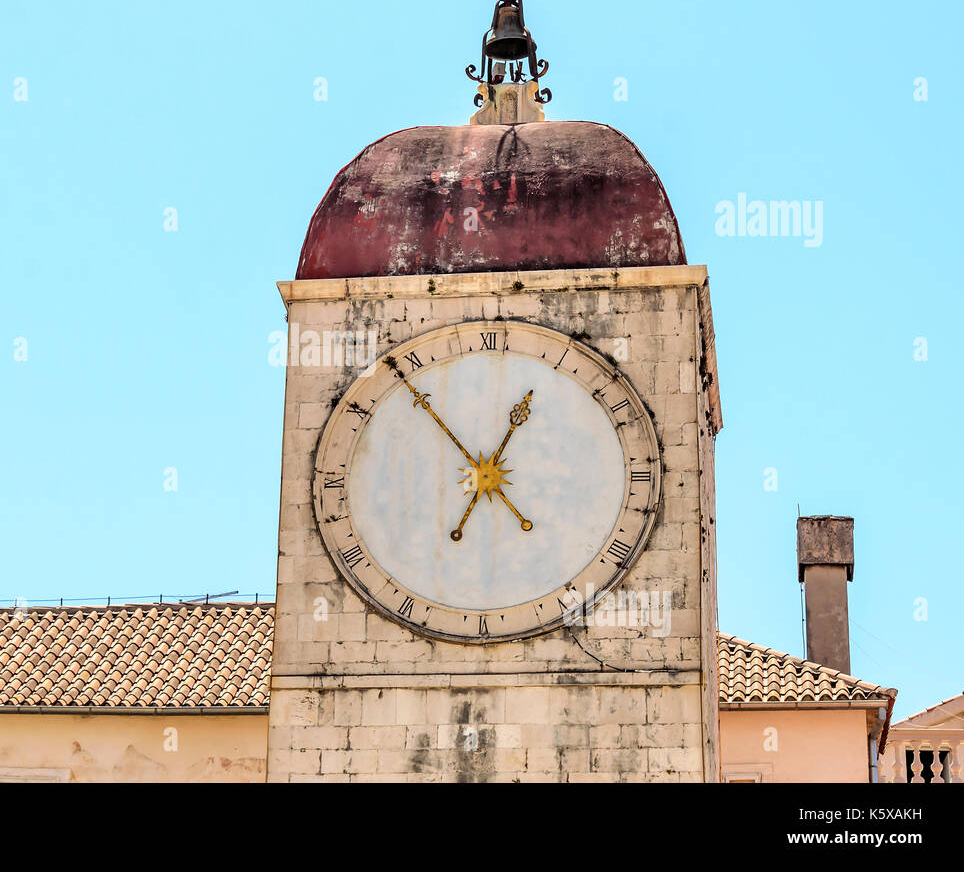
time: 12:53
